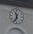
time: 11:33
